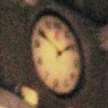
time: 1:49
